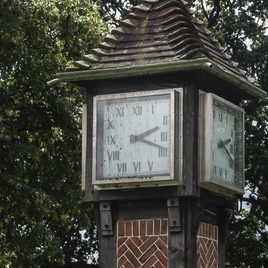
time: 2:18
